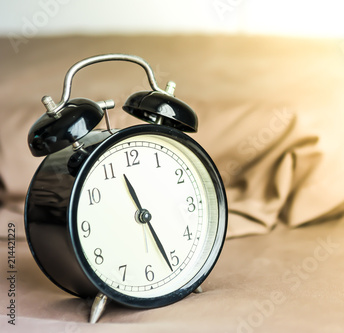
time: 11:26
